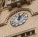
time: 12:07
